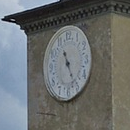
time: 11:25
